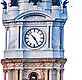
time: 4:52
